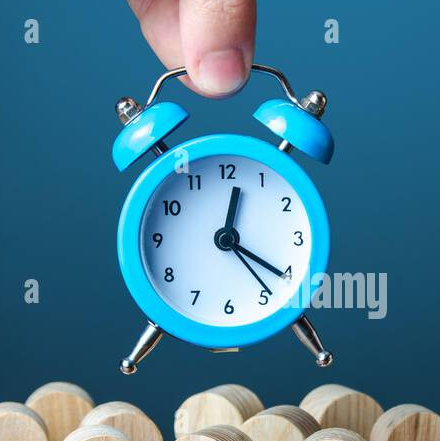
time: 12:20
